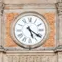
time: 5:20
